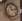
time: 11:12
